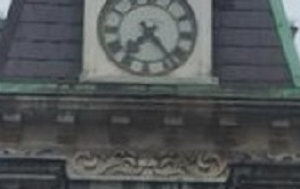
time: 7:23
